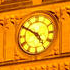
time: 4:50
